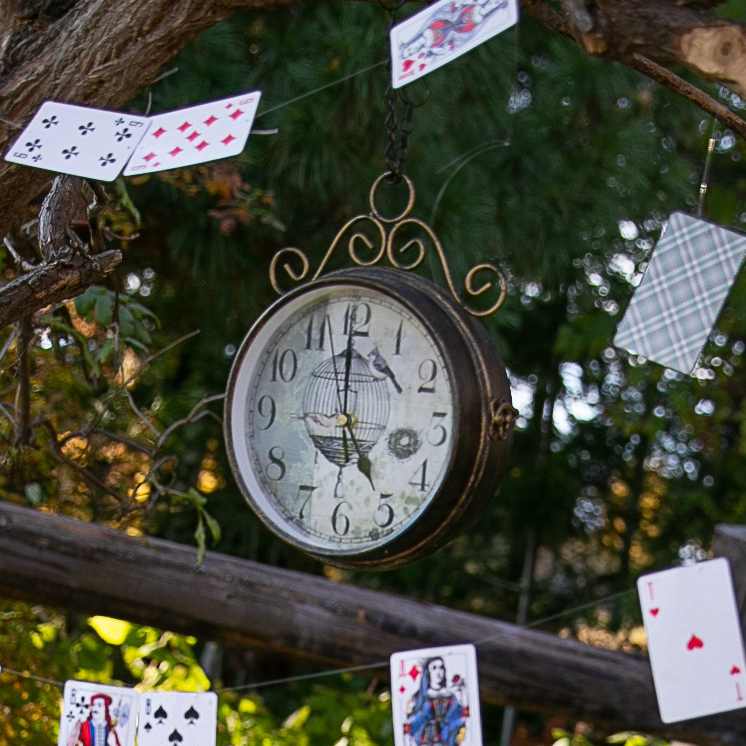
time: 4:59
